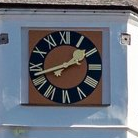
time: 1:42
